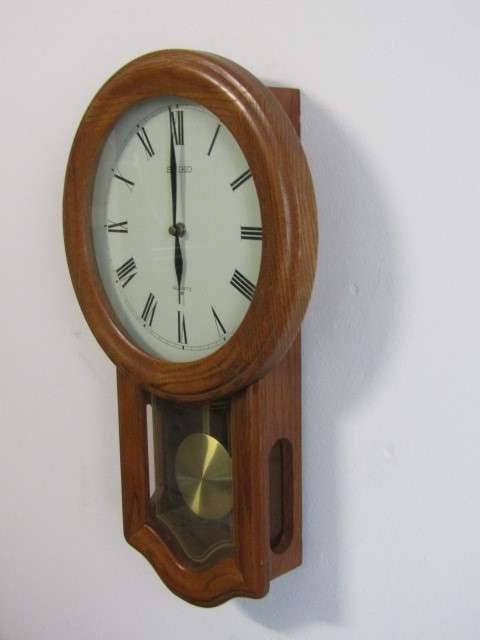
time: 5:59
